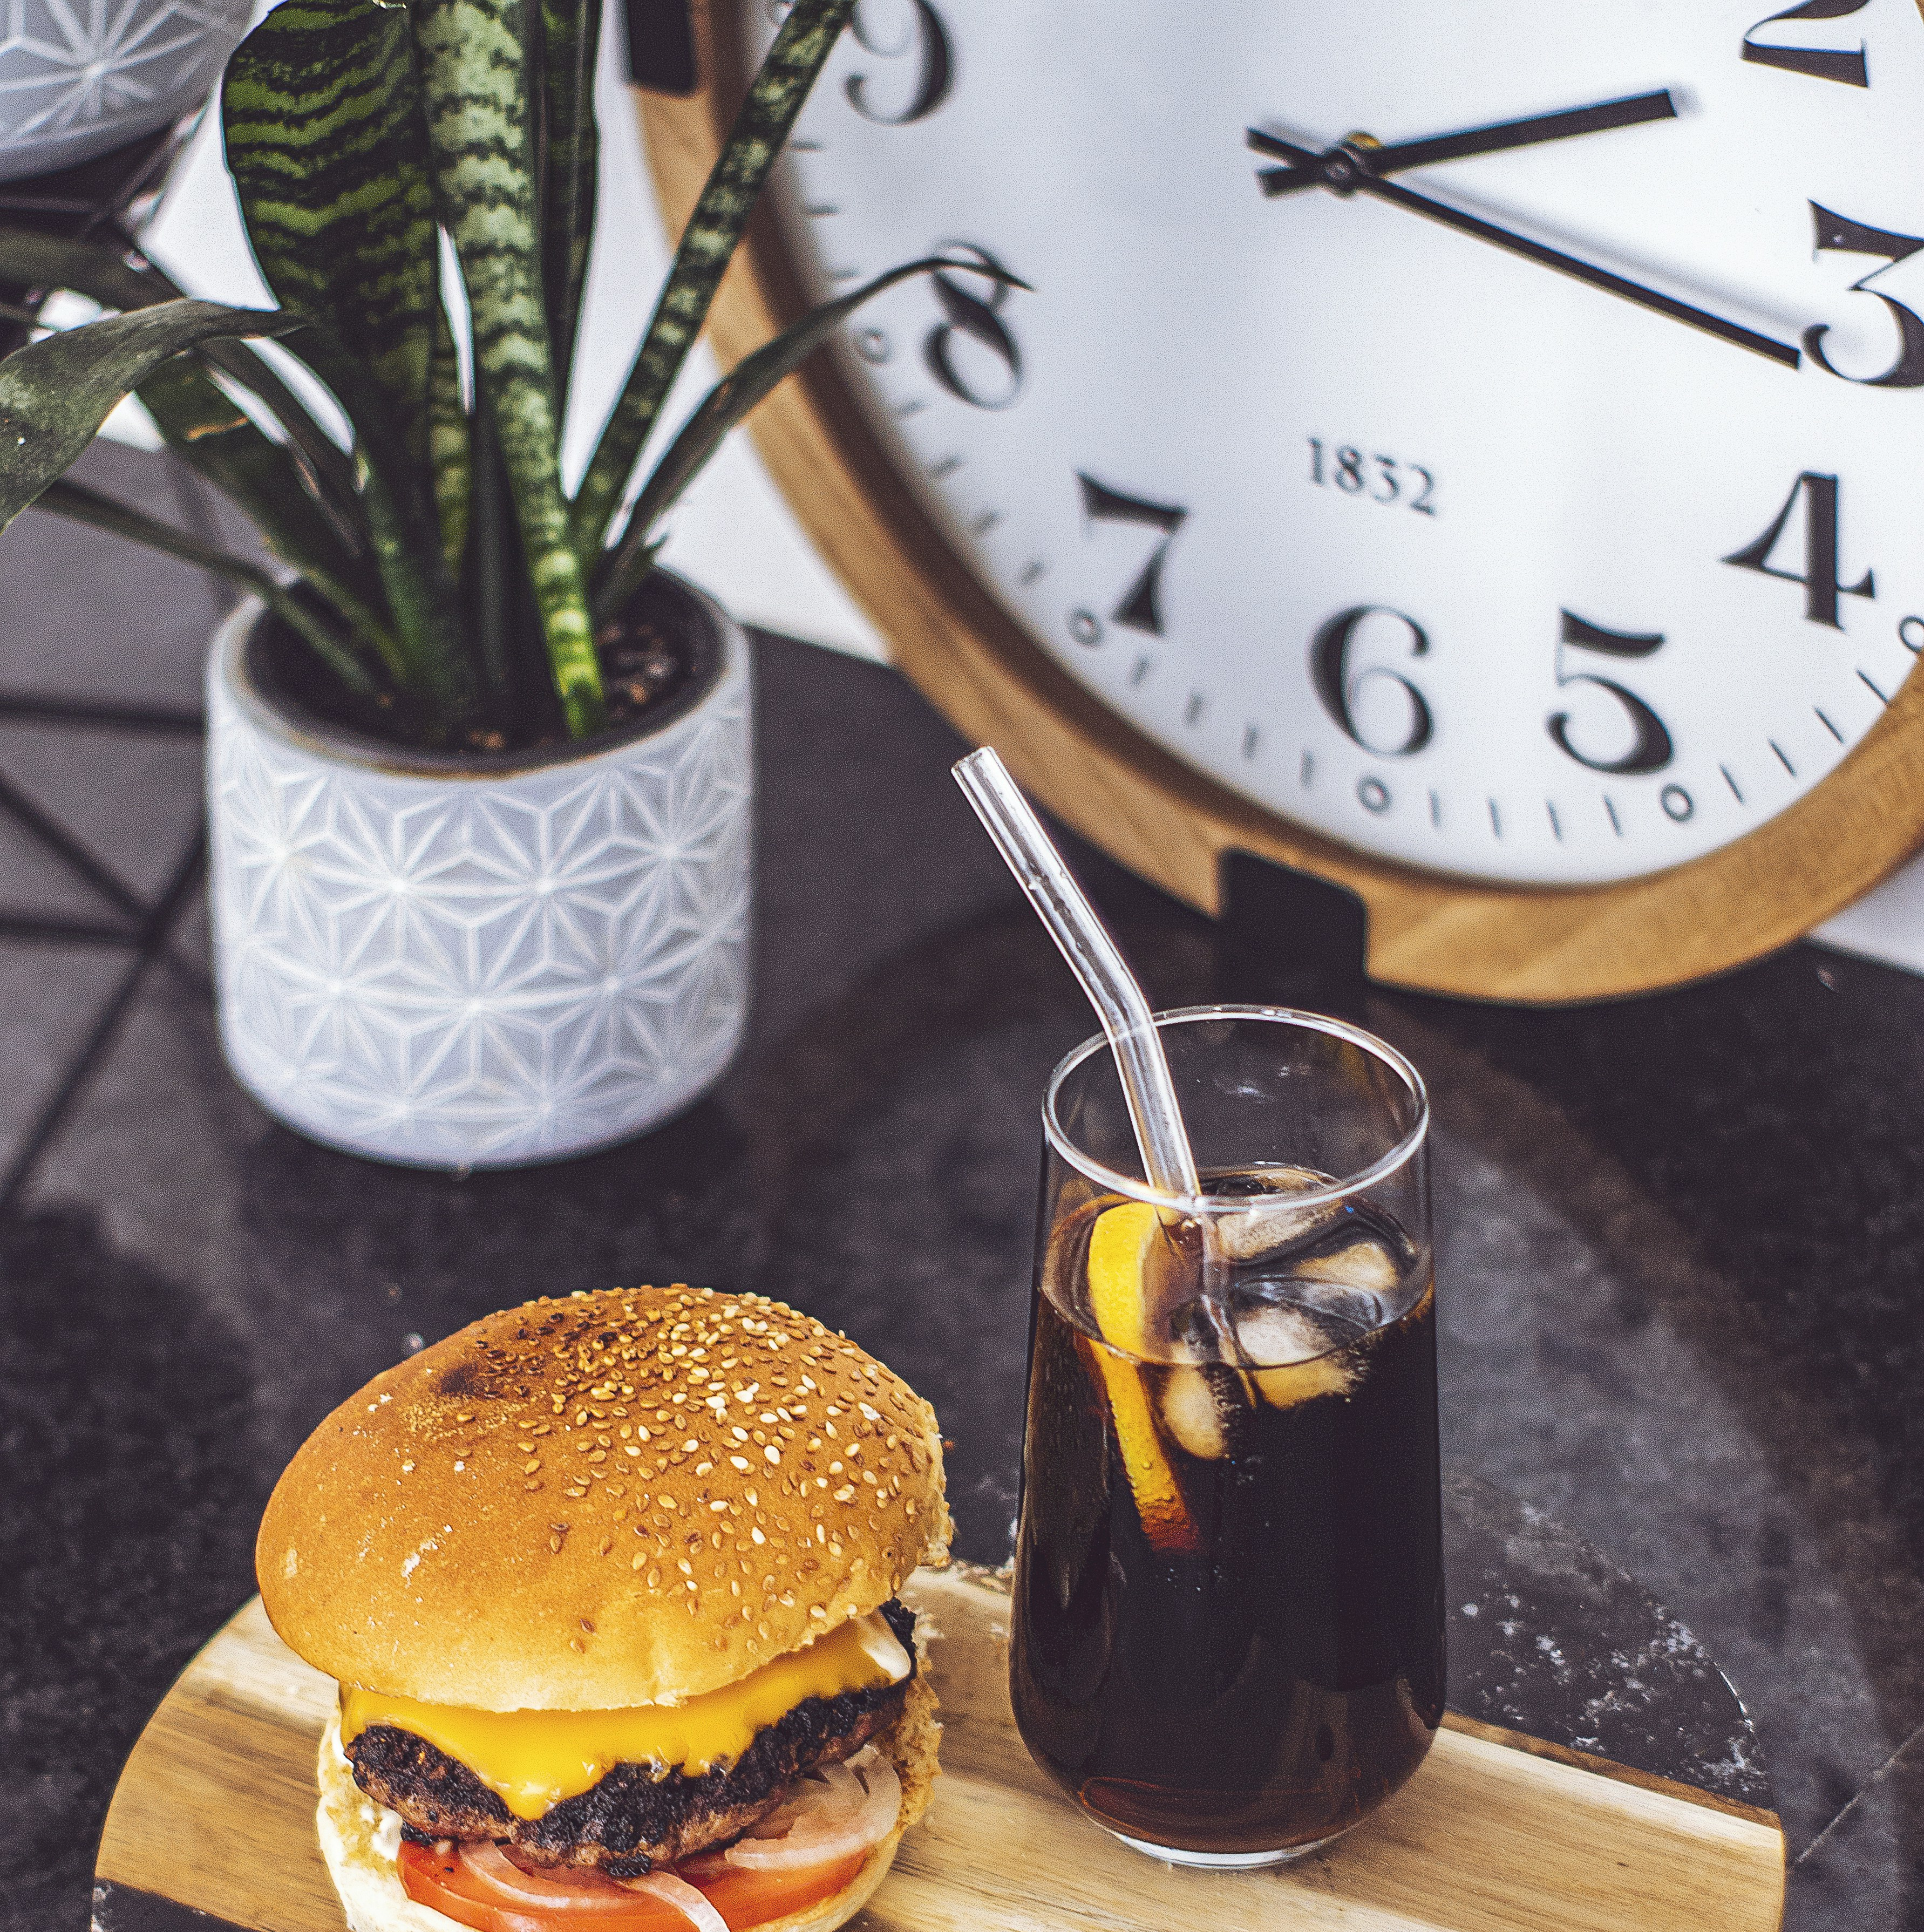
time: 2:17
